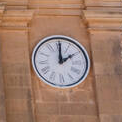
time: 2:00
